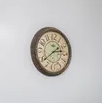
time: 2:38
